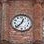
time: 12:37
